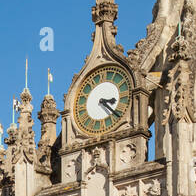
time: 3:22
